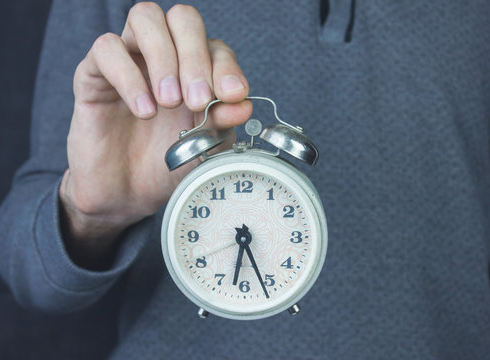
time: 6:26
